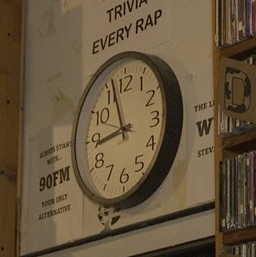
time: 8:56
